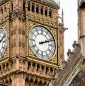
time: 2:11
